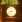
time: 8:39
